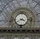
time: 3:40
